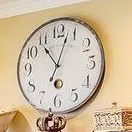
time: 11:03
